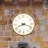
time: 8:18
